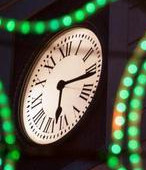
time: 6:16
